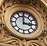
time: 2:59
